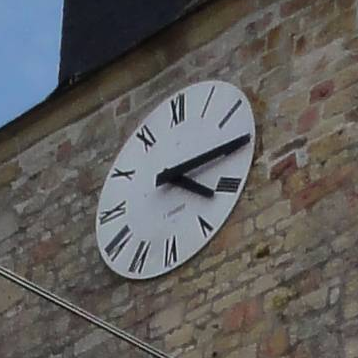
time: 4:14
